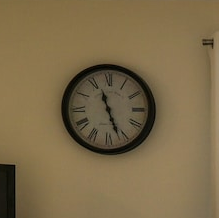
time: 11:26
